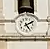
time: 5:09
